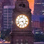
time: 4:42
